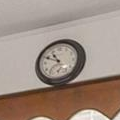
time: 10:49
